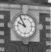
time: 9:55
